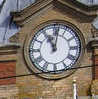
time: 11:01
